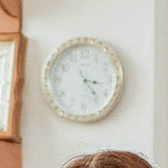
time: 3:23
